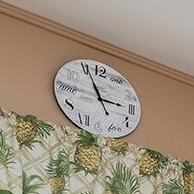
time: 2:55
